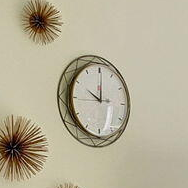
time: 10:00
